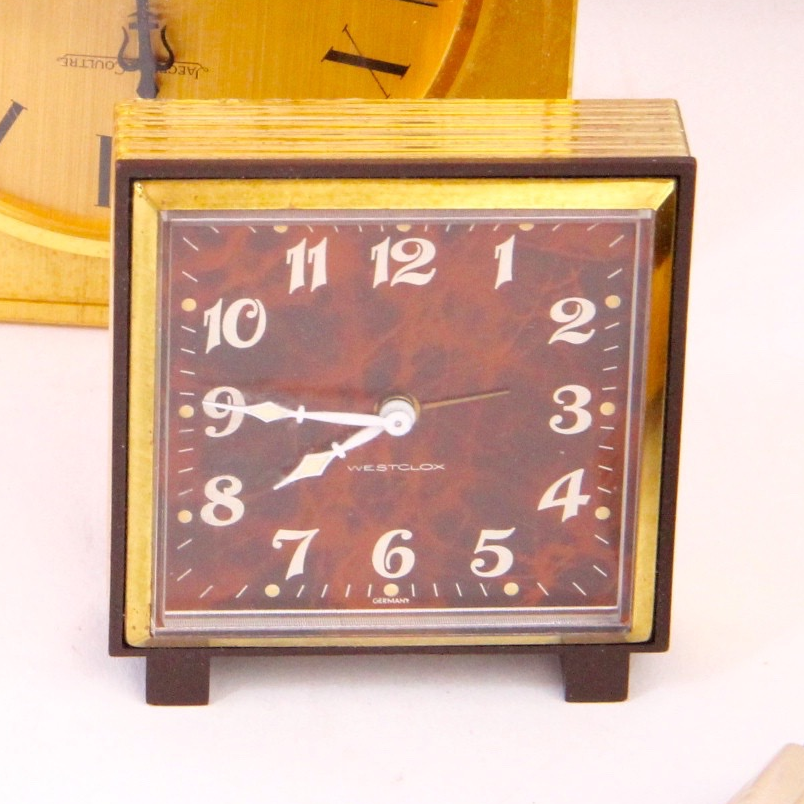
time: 7:45
